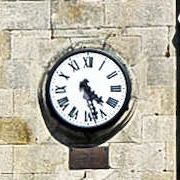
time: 4:27
